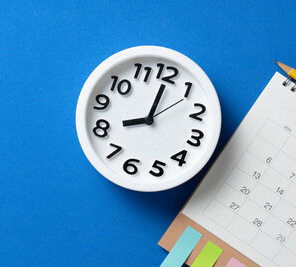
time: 8:00
